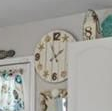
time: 1:56
